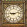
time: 9:12
